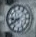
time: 8:39
